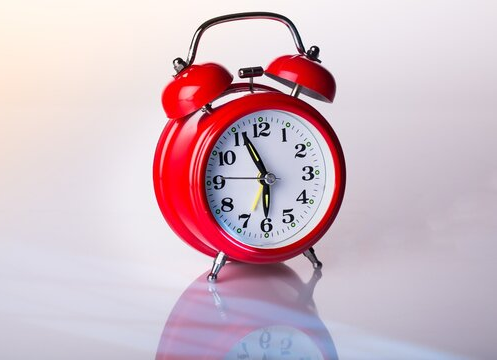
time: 5:55
